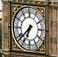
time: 6:38
